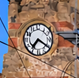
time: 7:20
